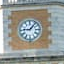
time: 9:07
